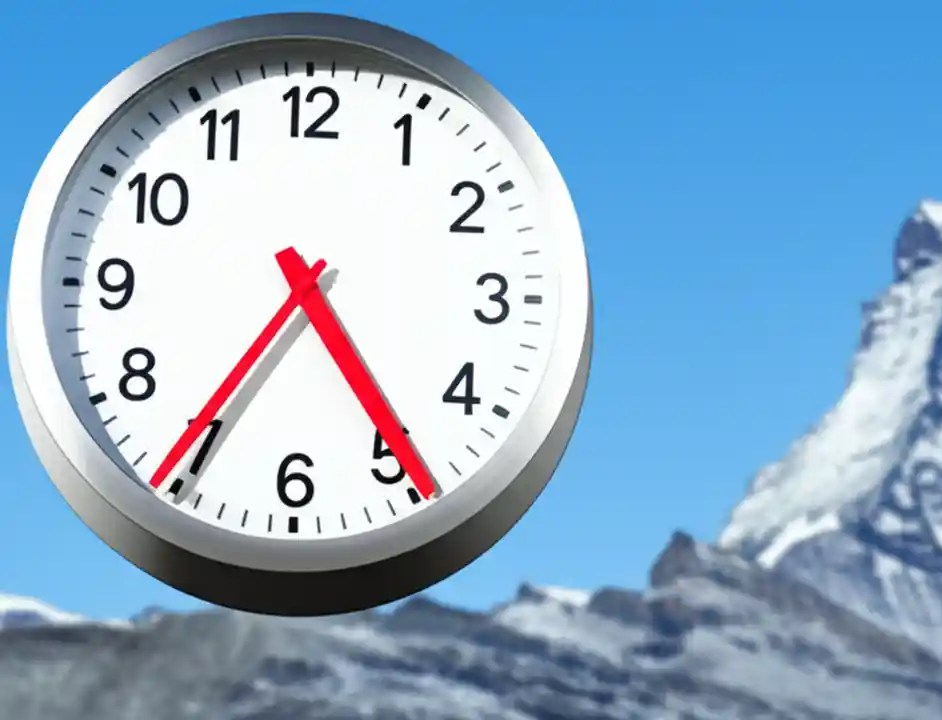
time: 4:35
